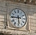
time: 5:45
